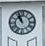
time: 10:56
